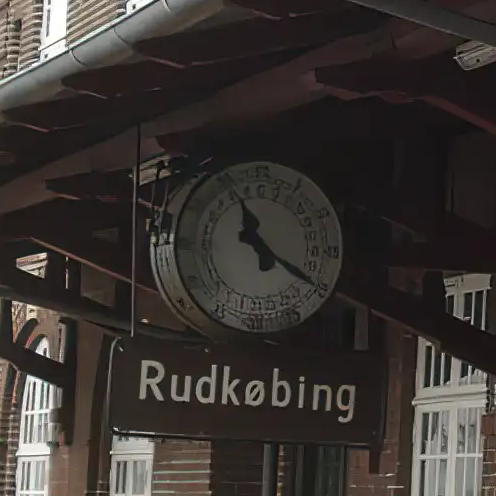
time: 11:20
